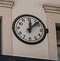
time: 12:07
